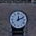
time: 12:10
